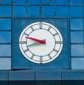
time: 9:42
